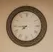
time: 7:44
